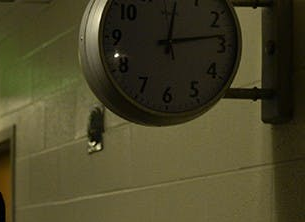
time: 12:13
